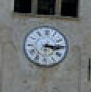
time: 3:14
